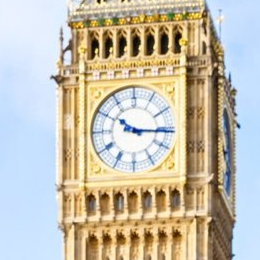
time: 10:15
